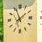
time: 1:56
